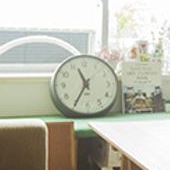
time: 11:35
